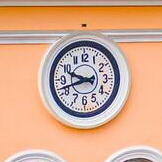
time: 9:42
